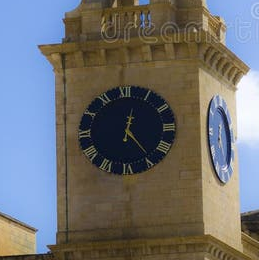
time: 12:24
